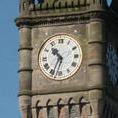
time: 10:34
